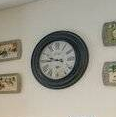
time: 9:45
